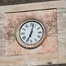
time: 7:02
